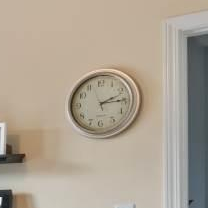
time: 2:14
